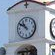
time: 10:50
